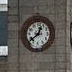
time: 12:38
